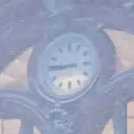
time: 8:45
